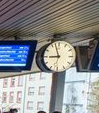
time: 8:57
